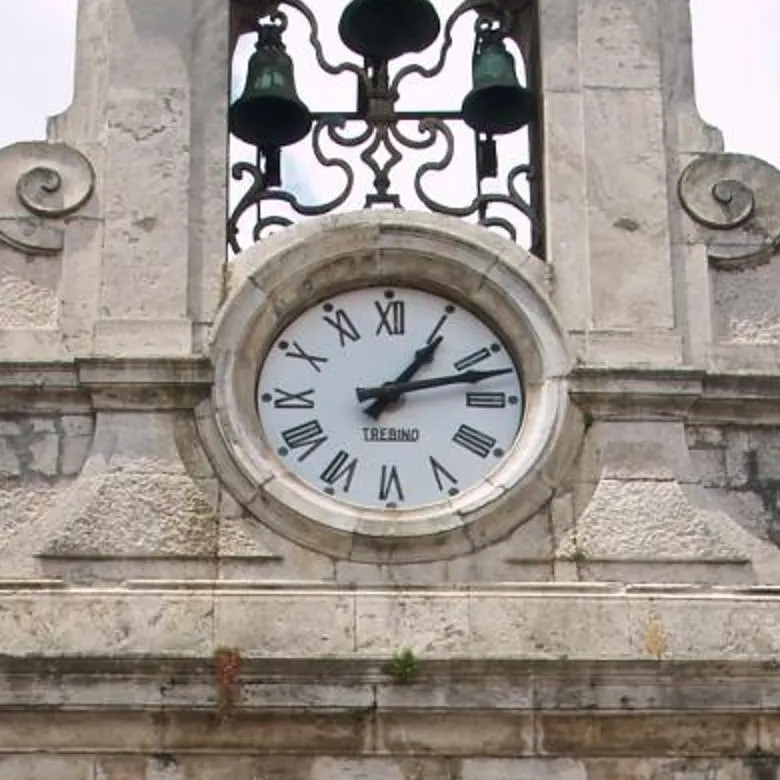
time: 1:12
